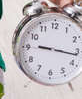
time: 9:16
